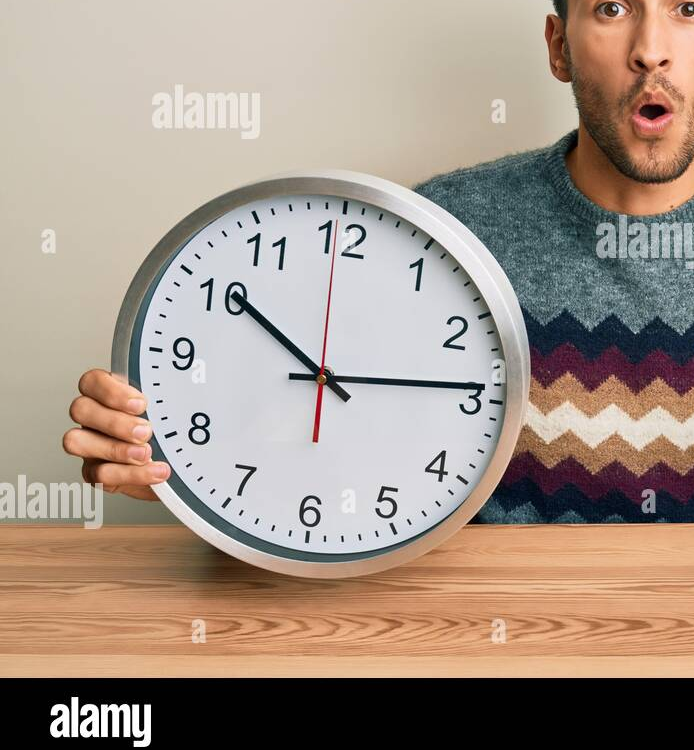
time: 10:13
